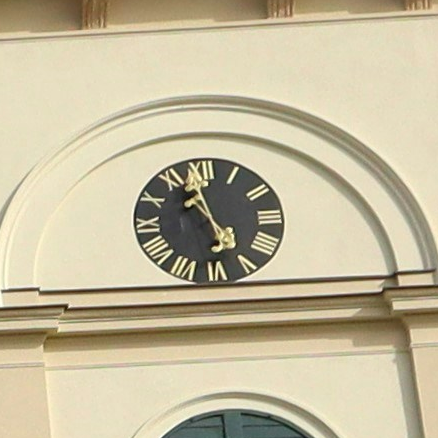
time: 4:57
